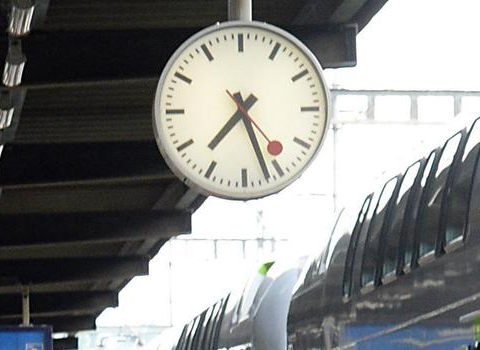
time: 7:26
